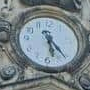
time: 5:22
